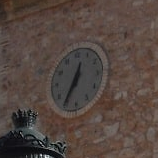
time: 12:35
